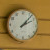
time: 2:07
